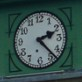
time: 2:23
